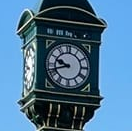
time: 9:42
